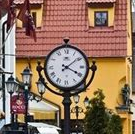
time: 4:08
